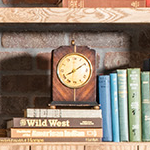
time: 8:09
